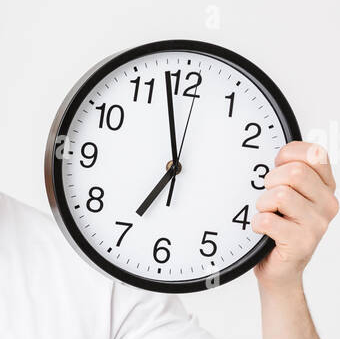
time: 6:58
